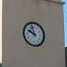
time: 9:57
